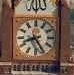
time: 8:25
